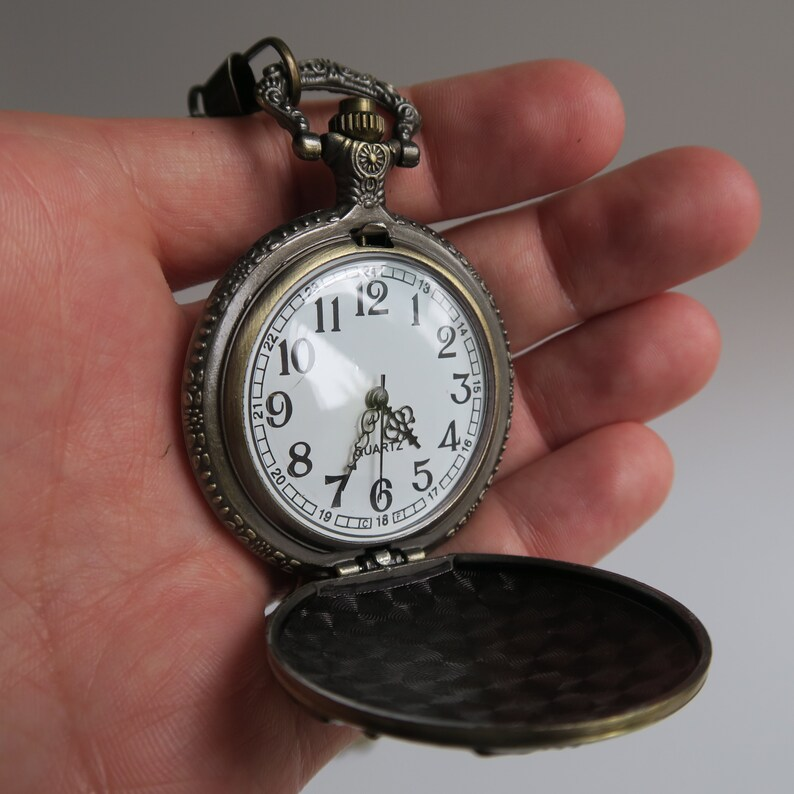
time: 4:34
